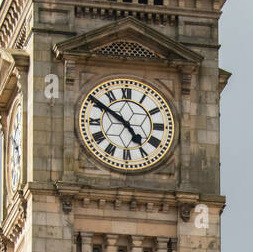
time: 4:50
